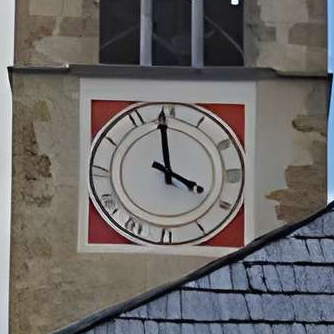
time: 3:58
